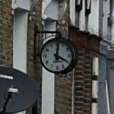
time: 4:01
